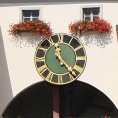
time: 11:22
